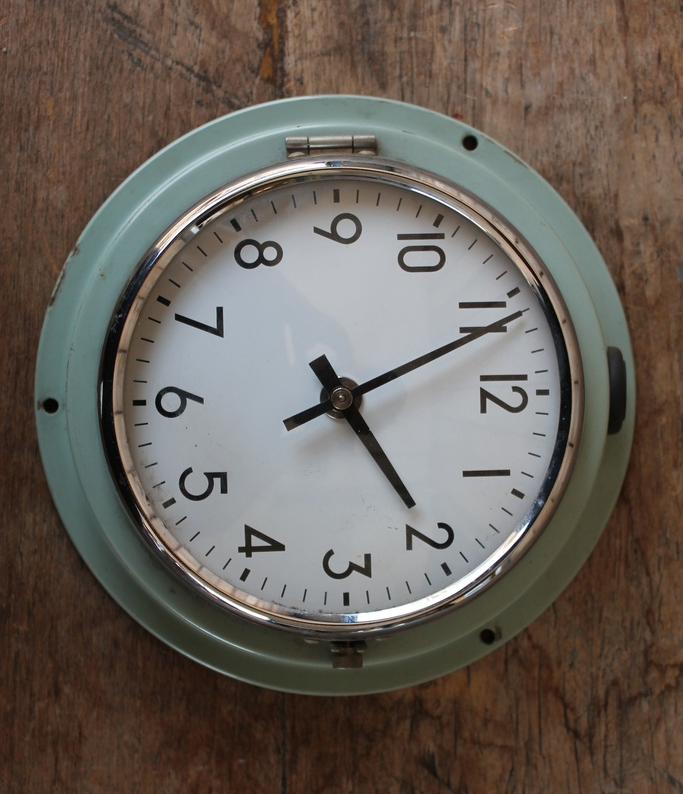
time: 5:11
